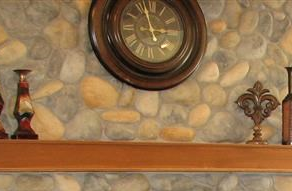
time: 2:57
